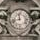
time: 11:42
